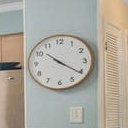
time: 10:20
